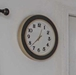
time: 12:37
